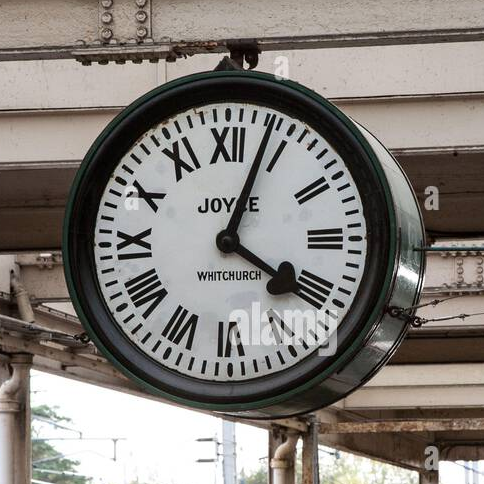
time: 4:03
